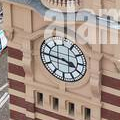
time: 3:45
